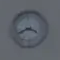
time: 3:40
